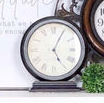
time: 5:04
